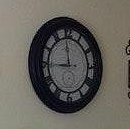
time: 11:44
